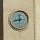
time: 11:42
